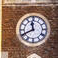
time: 11:40
